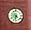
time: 4:32
